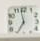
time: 6:58
